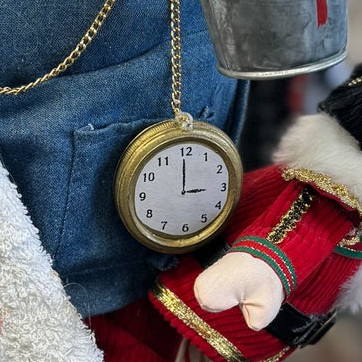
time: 2:59
